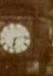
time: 6:13
